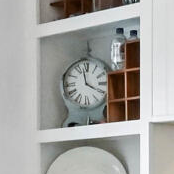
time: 3:58
